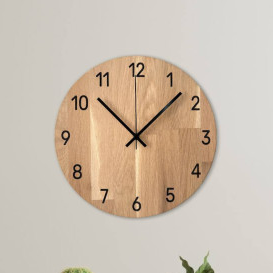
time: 10:07
